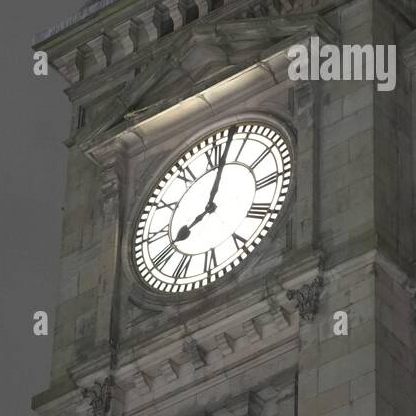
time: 8:02
